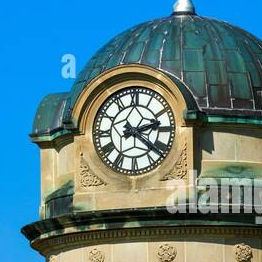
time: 2:21
